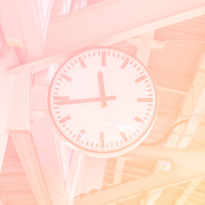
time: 11:44
